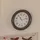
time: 11:13
